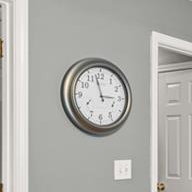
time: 2:57
